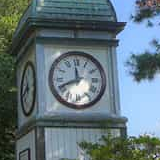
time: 11:41
